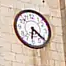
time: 6:21
